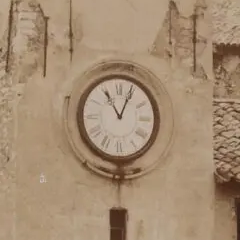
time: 11:04
